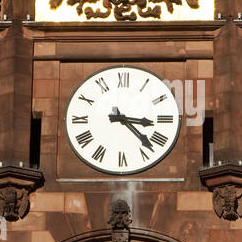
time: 3:22
